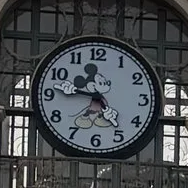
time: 4:46
